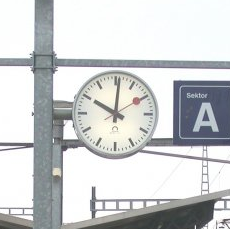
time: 10:00
